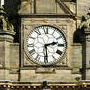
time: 2:29
